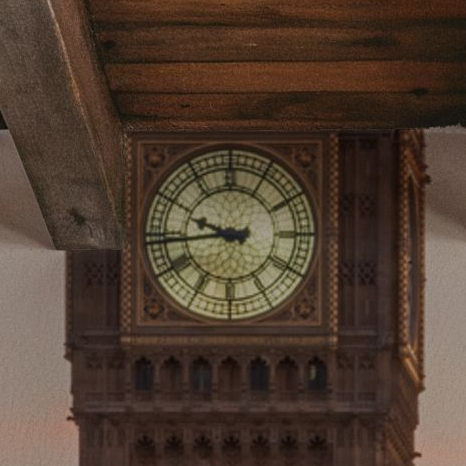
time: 9:43
